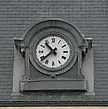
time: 10:37
